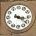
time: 3:21
